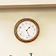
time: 1:26
